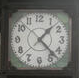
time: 1:22
